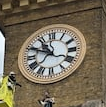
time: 10:49
